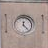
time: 12:23
